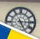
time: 5:14
